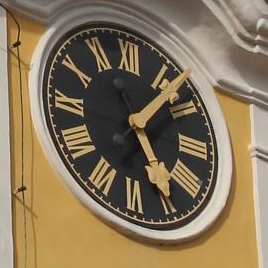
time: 5:06
